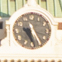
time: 5:18
